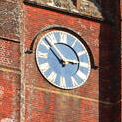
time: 2:52
